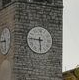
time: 5:45
